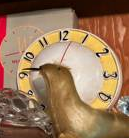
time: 5:46
